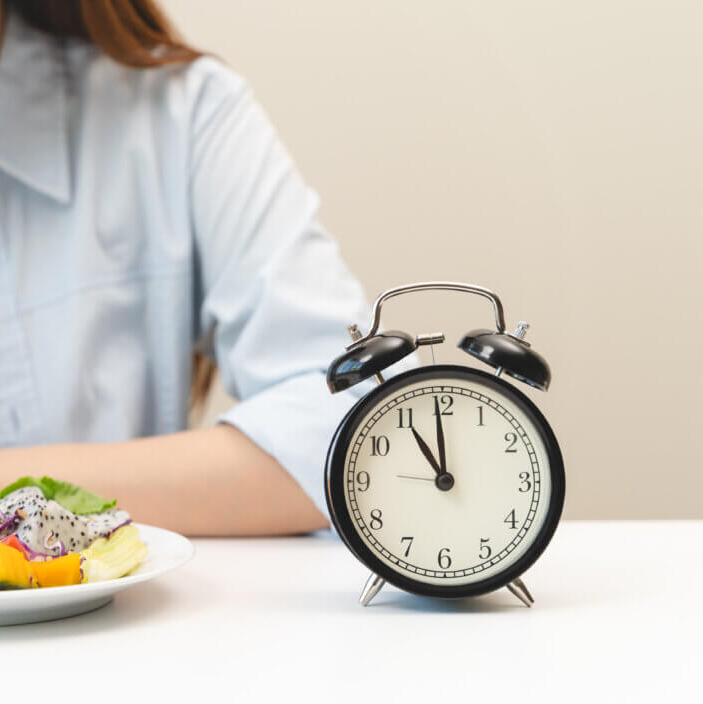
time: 10:59
